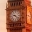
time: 9:22
